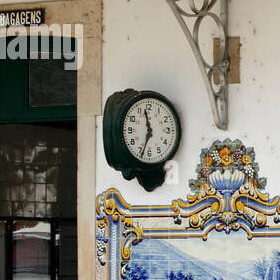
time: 11:33
